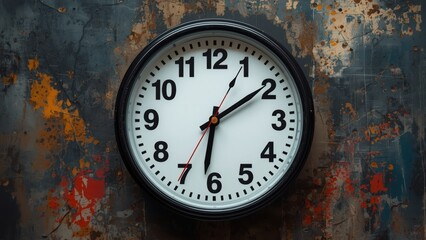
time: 6:09
